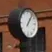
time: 1:06
